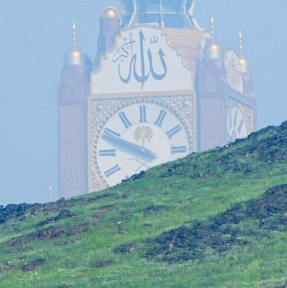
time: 9:48
